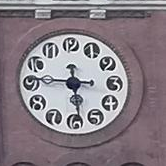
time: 5:46
